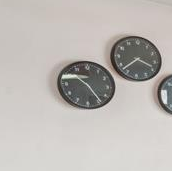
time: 10:24
